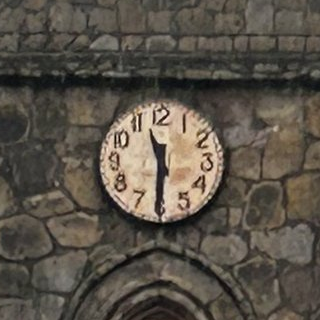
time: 11:30
